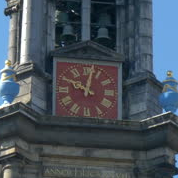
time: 10:02
